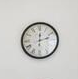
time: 12:12
